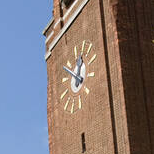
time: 12:49
